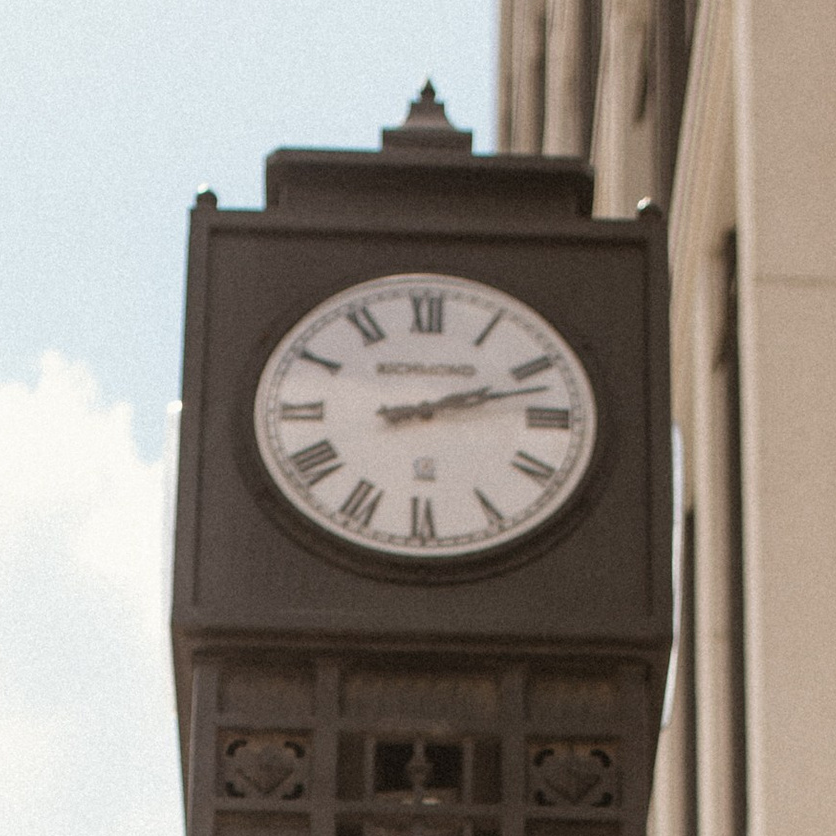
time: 2:12
